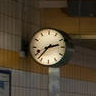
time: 2:37
